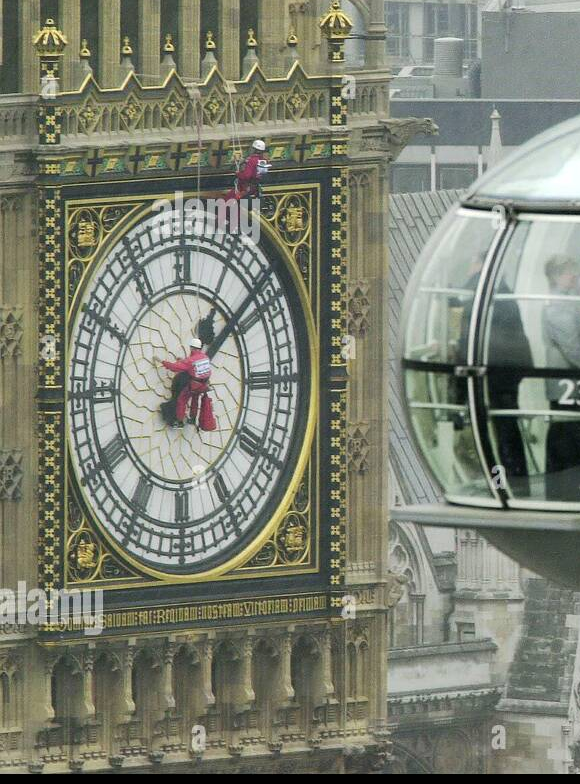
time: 1:08
